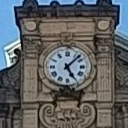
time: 5:07
